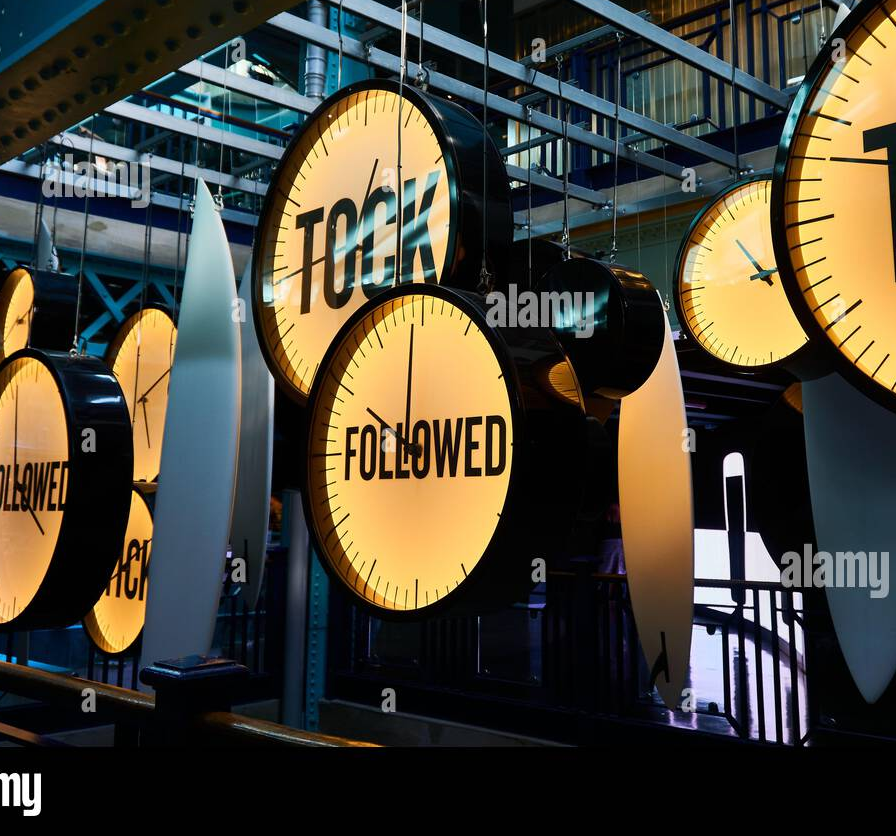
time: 8:59
